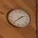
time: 1:37
